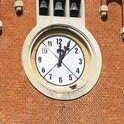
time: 12:04
